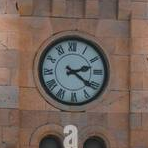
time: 2:21
